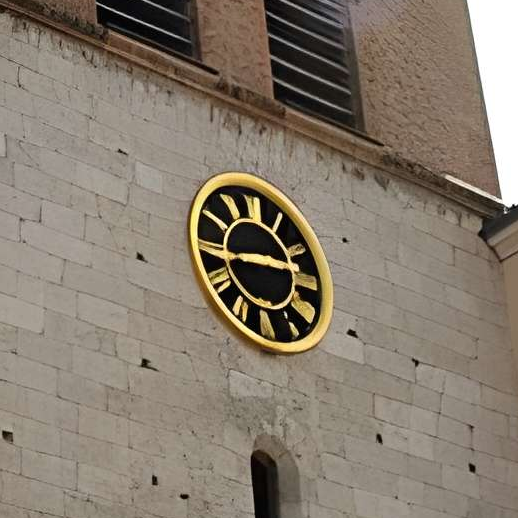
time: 2:43
